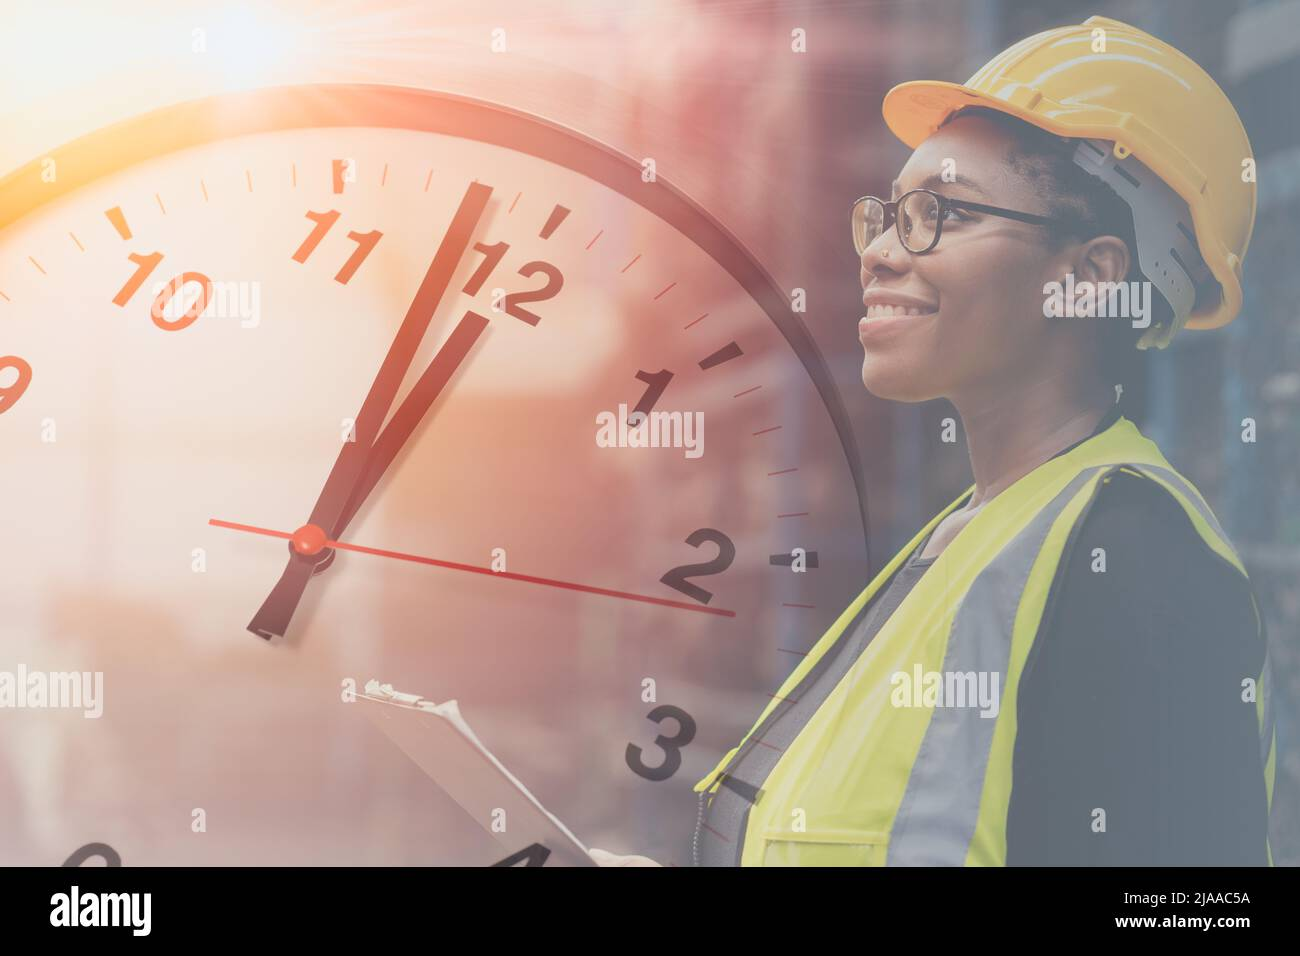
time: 1:03
